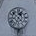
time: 12:52
